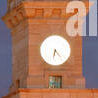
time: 6:23
